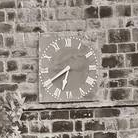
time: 6:40
